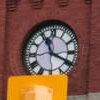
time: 11:19
